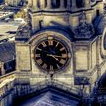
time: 4:16
